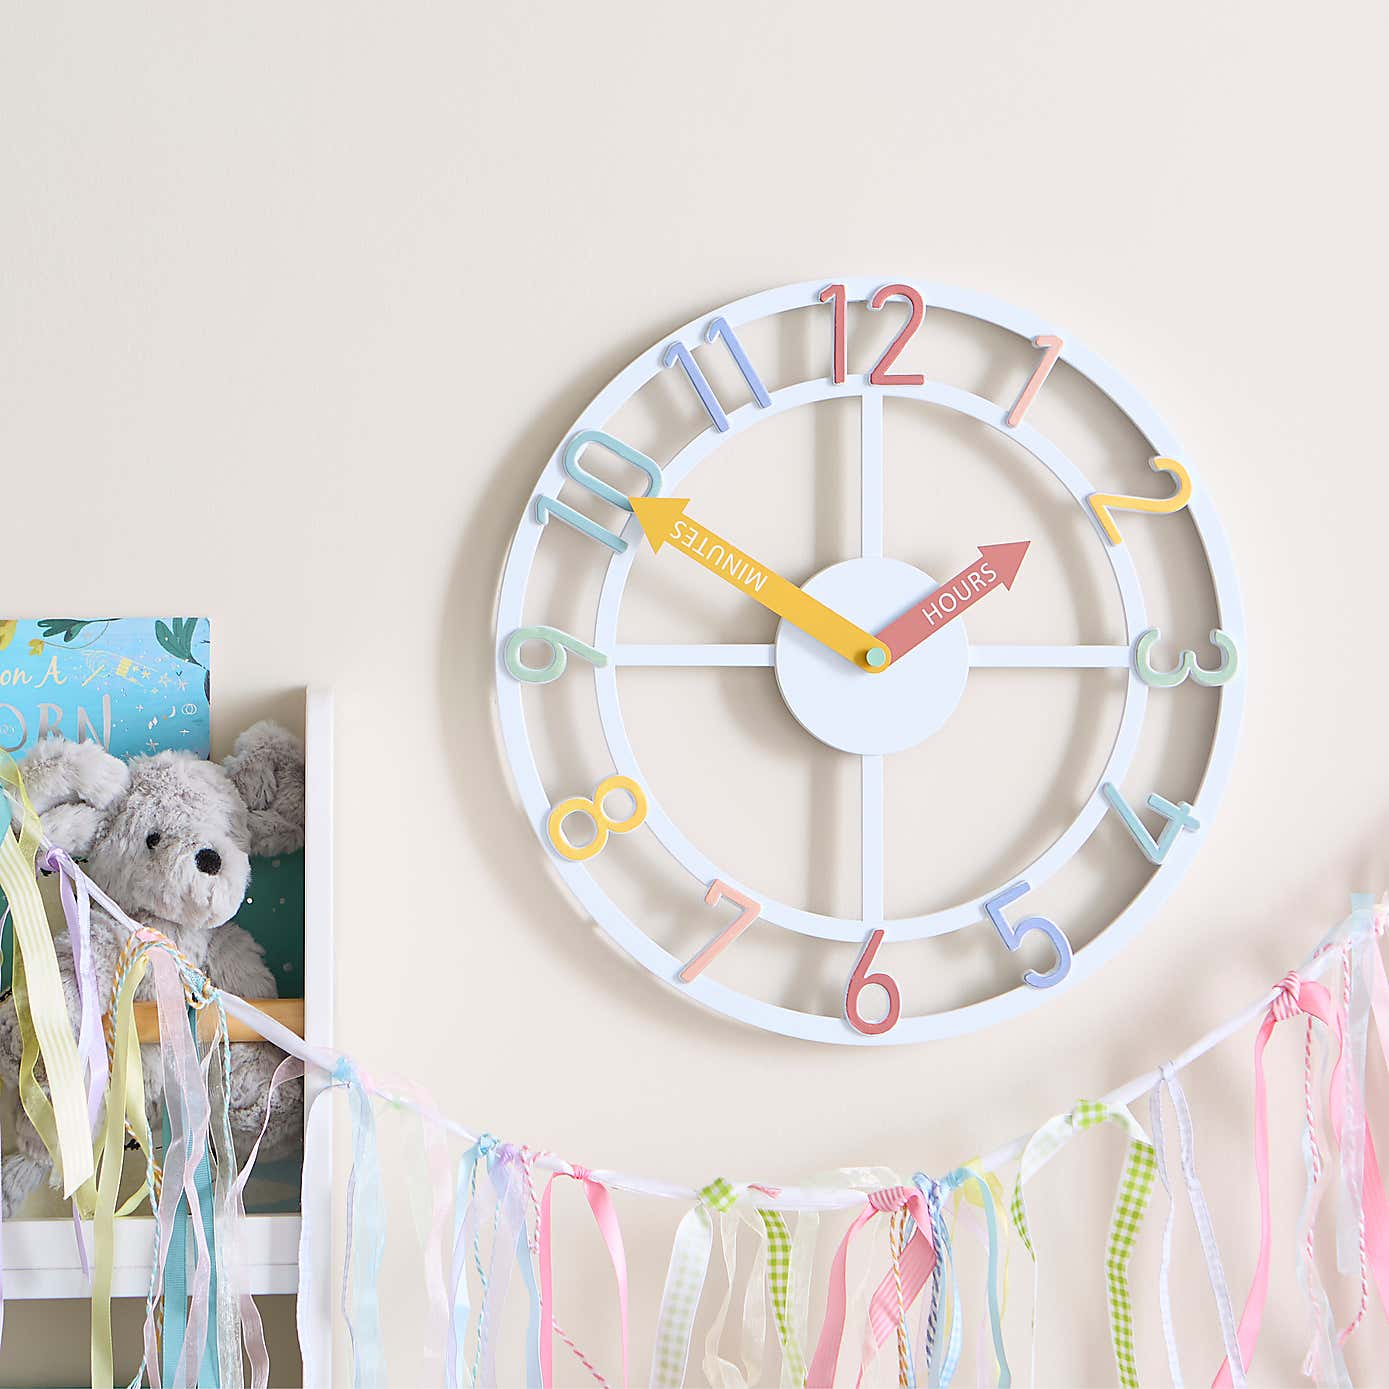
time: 1:50
